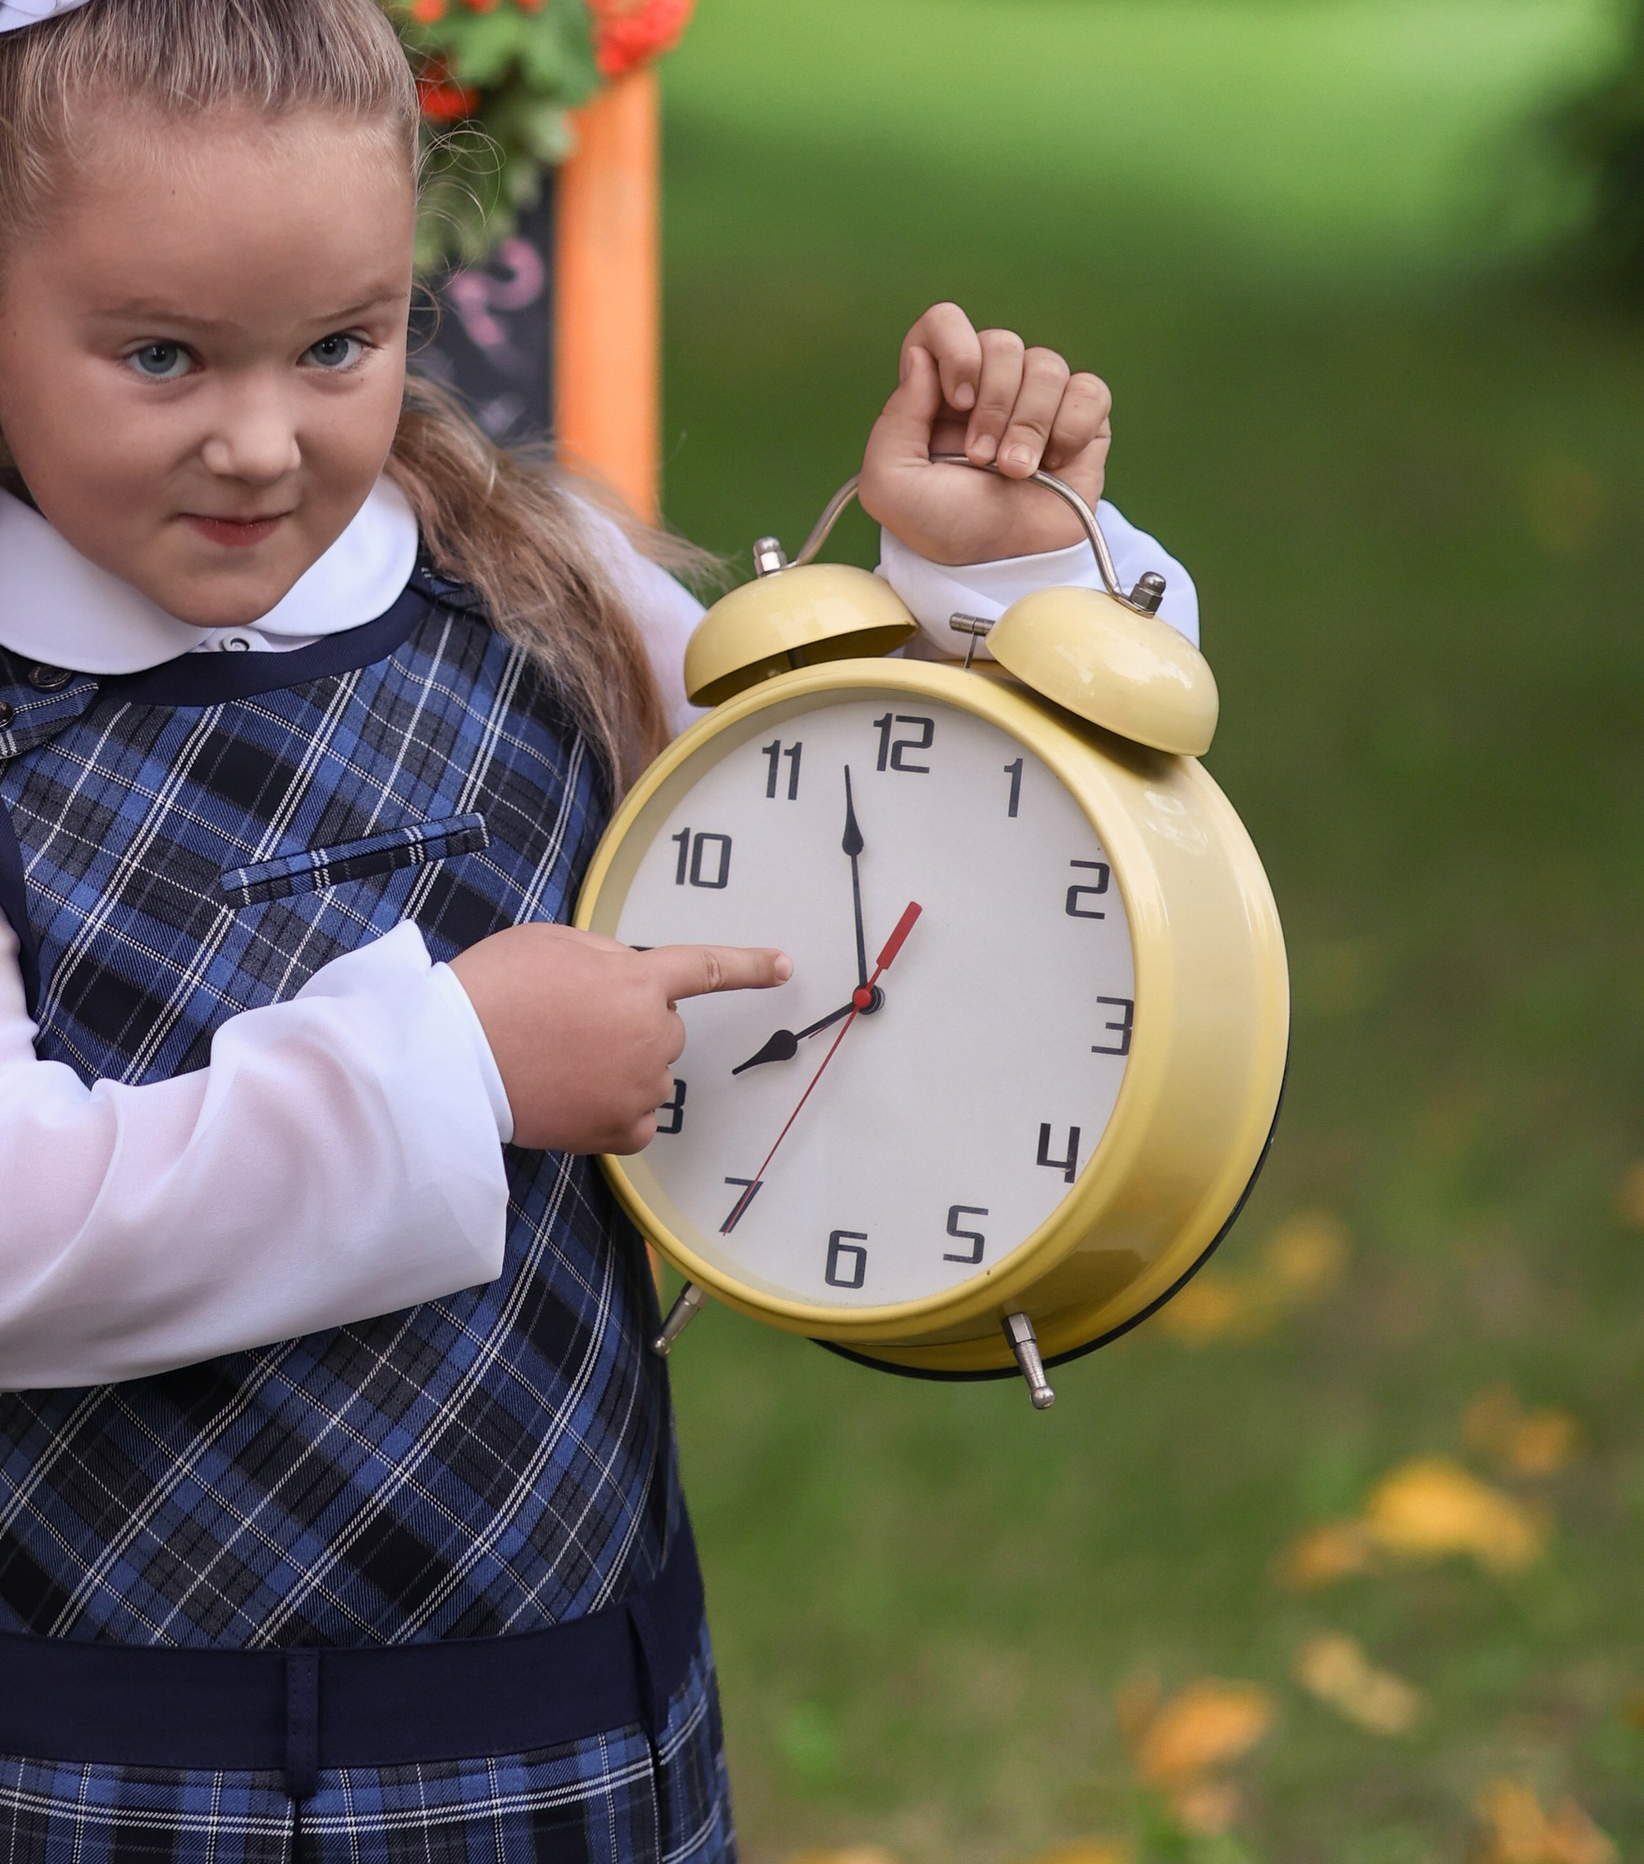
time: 7:57
